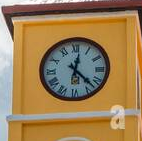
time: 12:22
